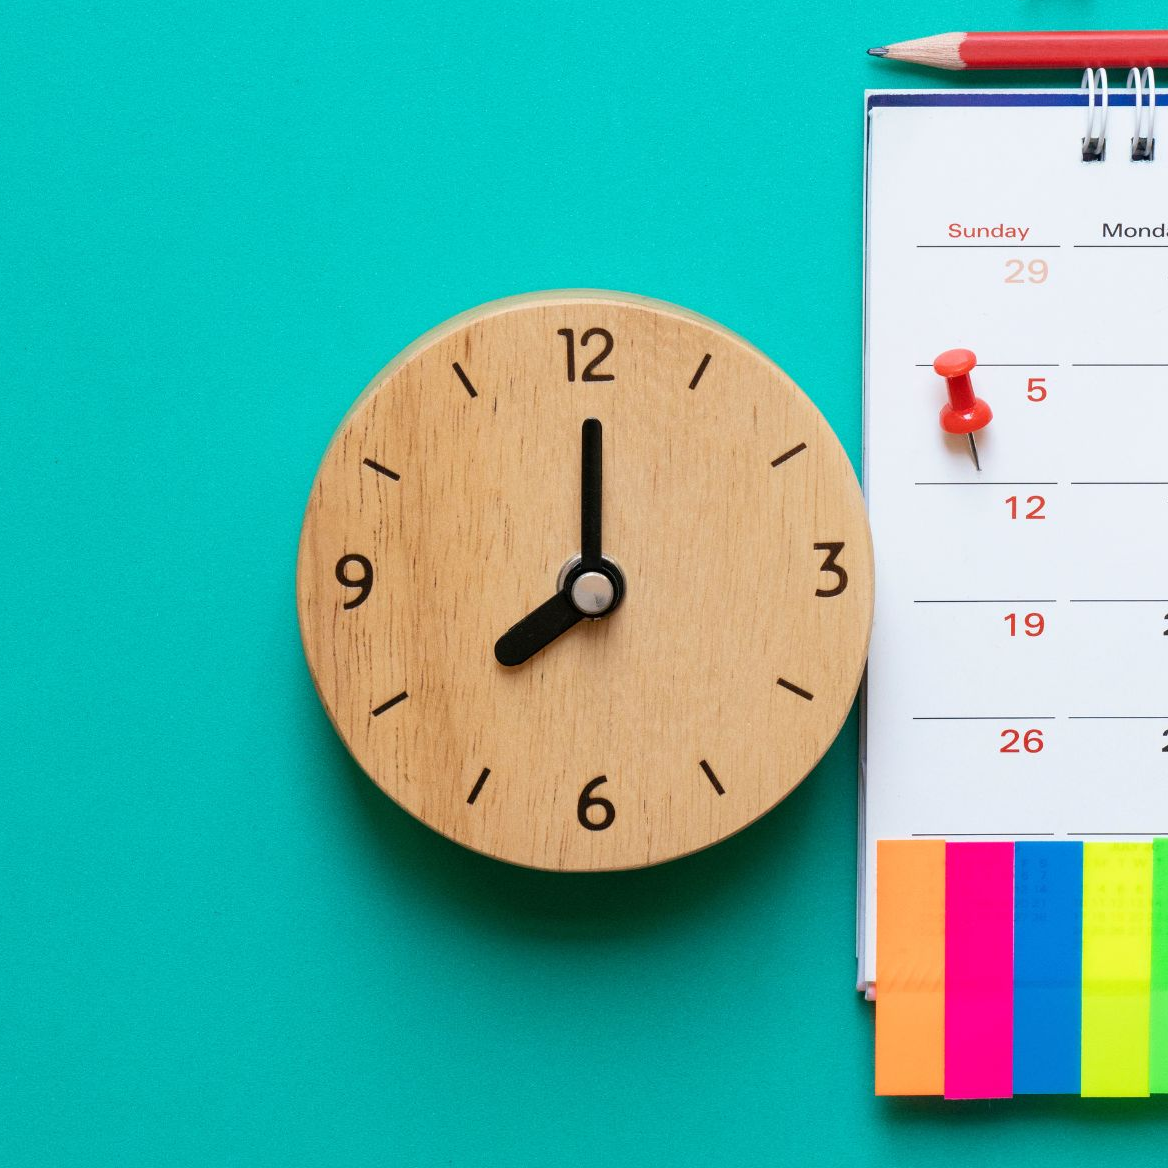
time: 8:00
